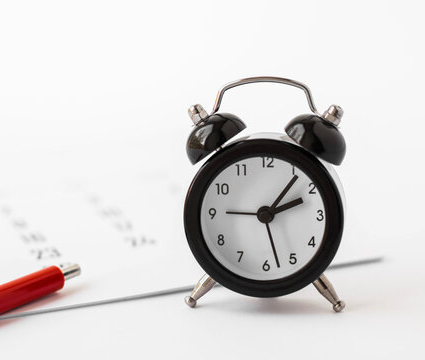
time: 2:06
